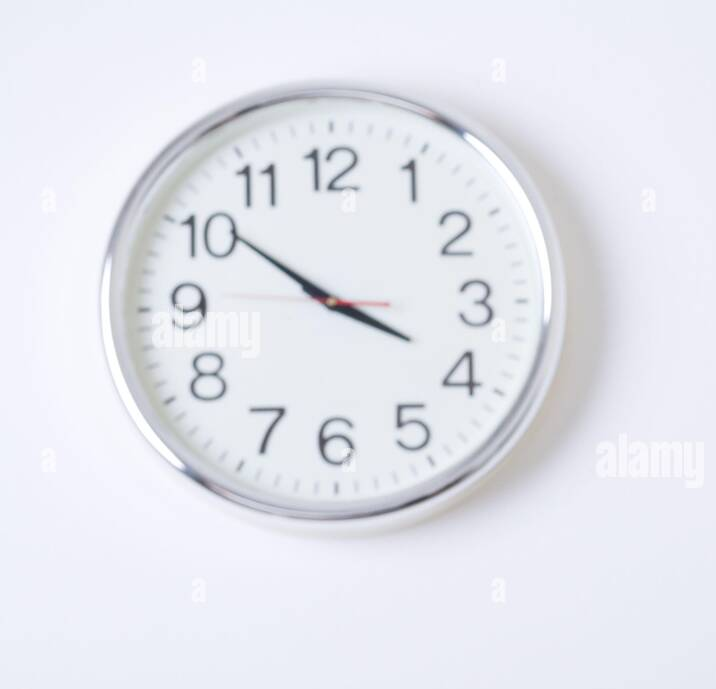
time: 3:51
